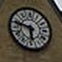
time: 5:47
